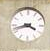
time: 3:42
